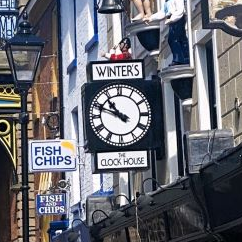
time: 10:48
